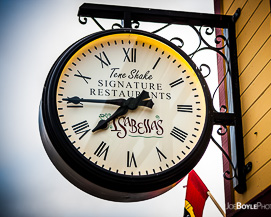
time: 7:45
